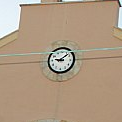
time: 9:08
